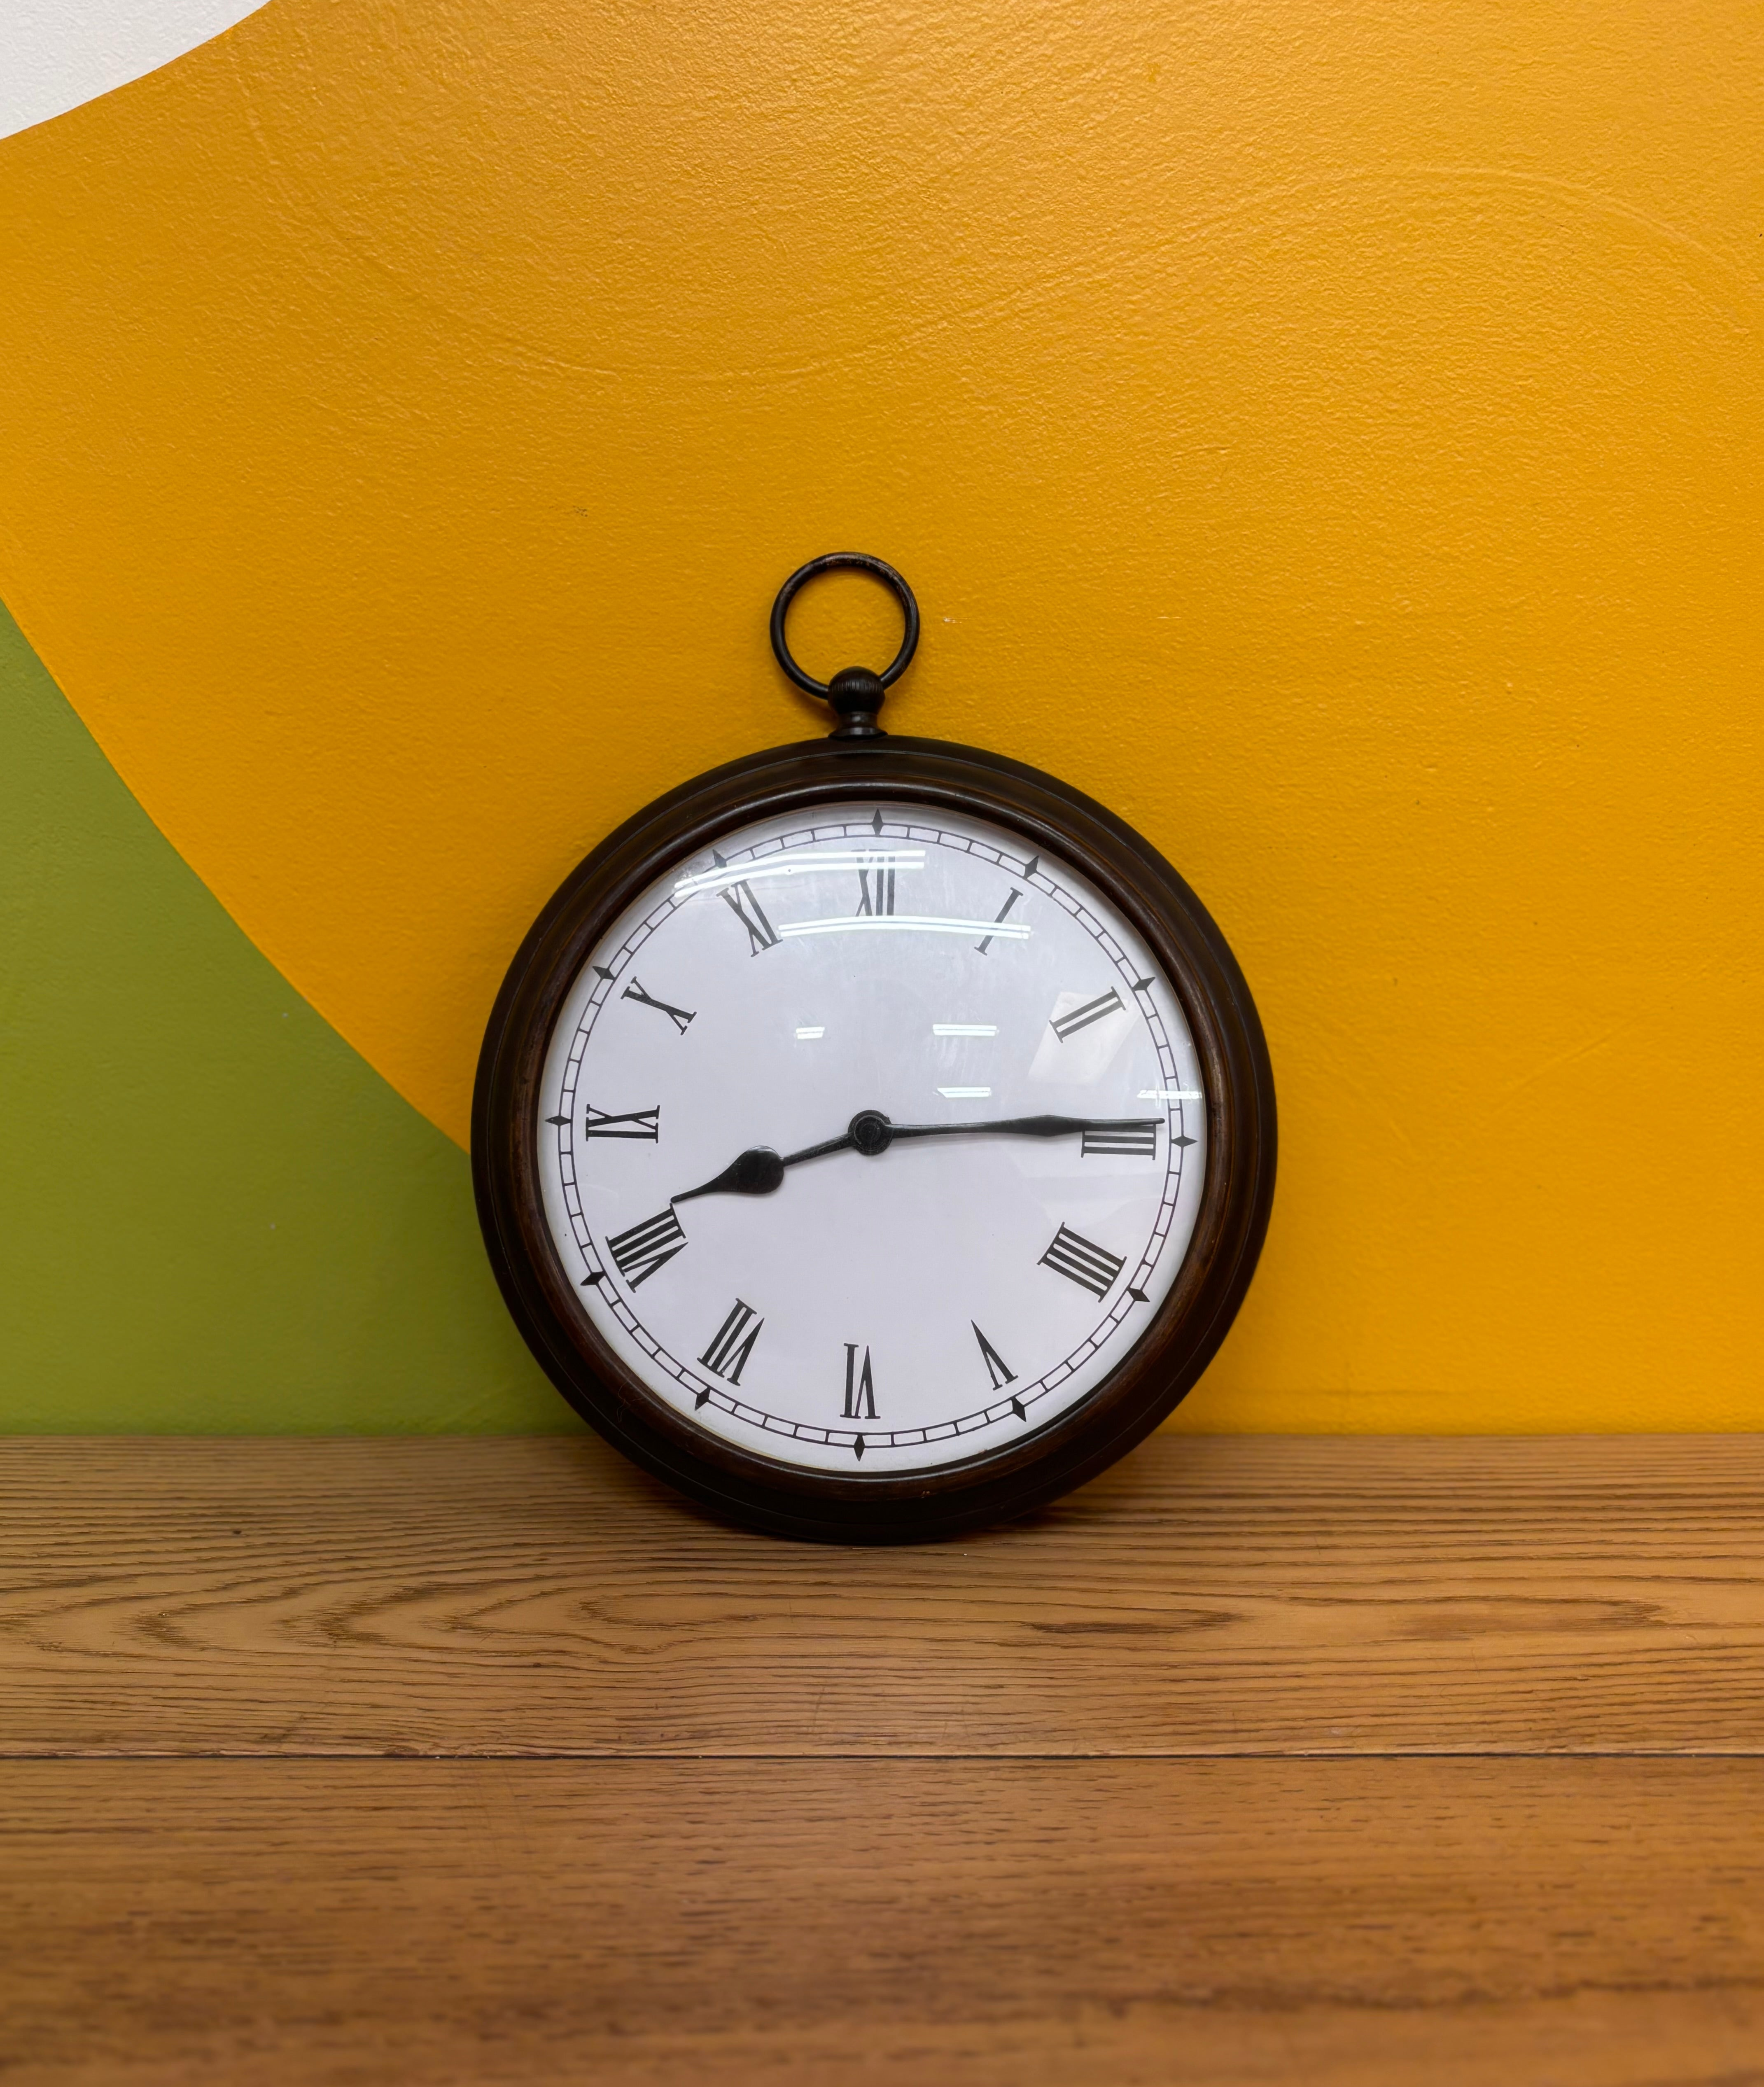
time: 8:14
